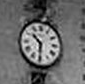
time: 10:30
